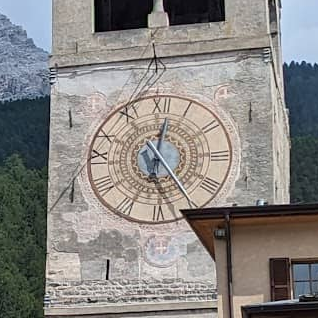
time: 12:24
